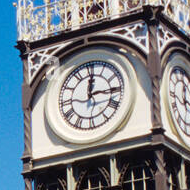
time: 12:14
